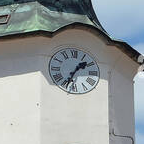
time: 1:34
